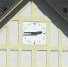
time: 2:45
